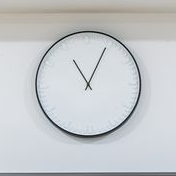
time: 11:04
